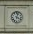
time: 4:03
